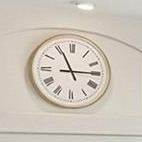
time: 2:55
